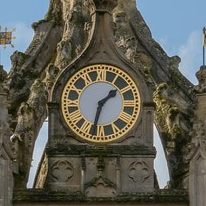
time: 1:32
